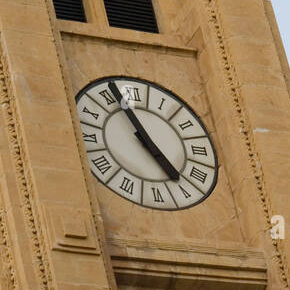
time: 4:56
